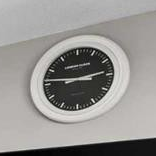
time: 2:46
